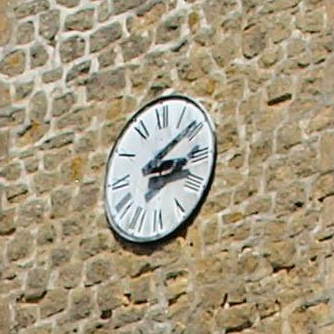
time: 3:09
